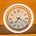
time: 7:18
